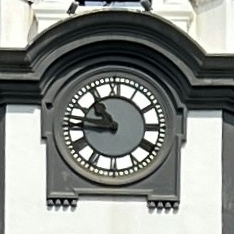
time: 10:45
